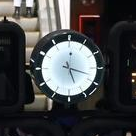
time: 5:18
